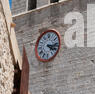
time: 4:16
